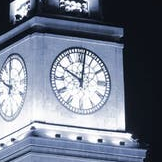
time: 10:01
